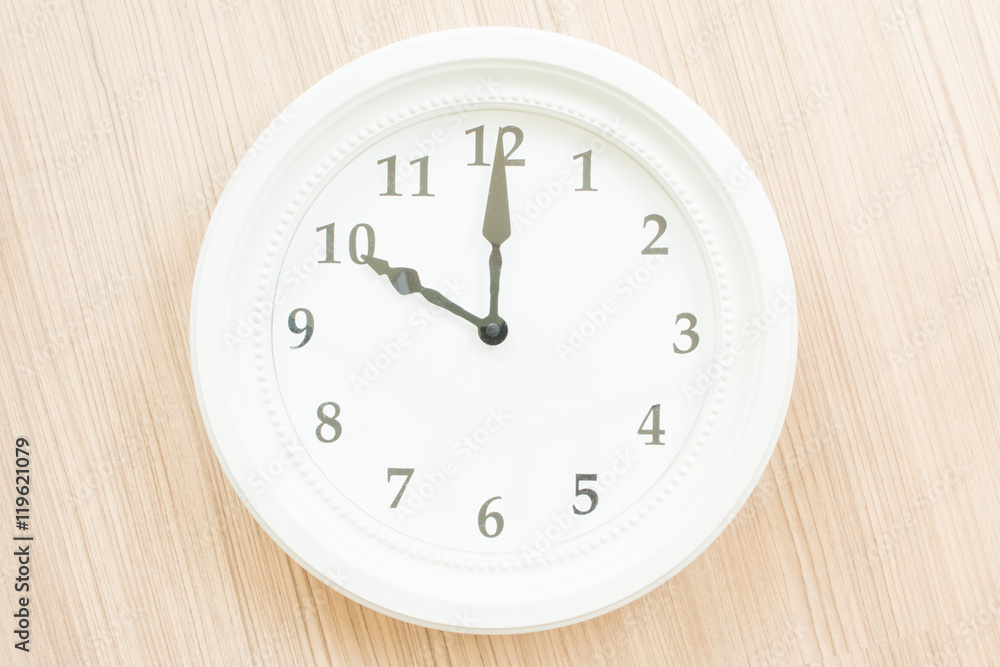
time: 10:00
